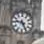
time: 9:25
